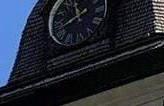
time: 11:40
